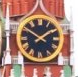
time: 1:50
